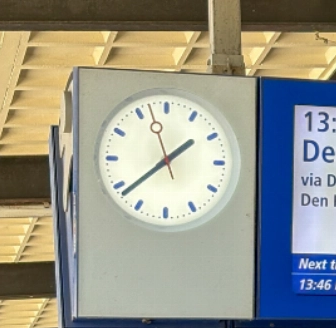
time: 1:38
